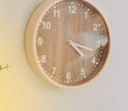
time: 4:17
